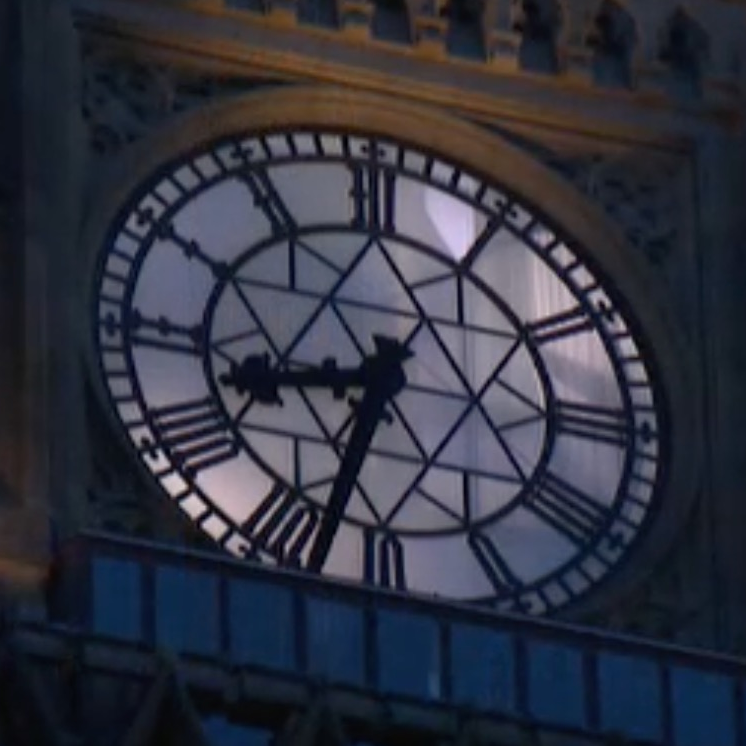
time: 8:32
